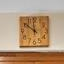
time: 11:51
